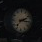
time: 2:15
